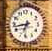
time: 6:43
